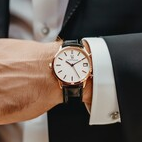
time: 10:10
